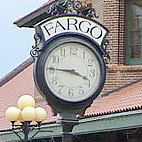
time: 3:45
